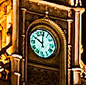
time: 10:00
